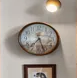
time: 7:26
